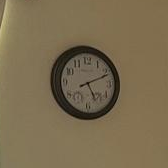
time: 5:11
